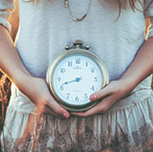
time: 8:42
